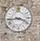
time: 3:43
